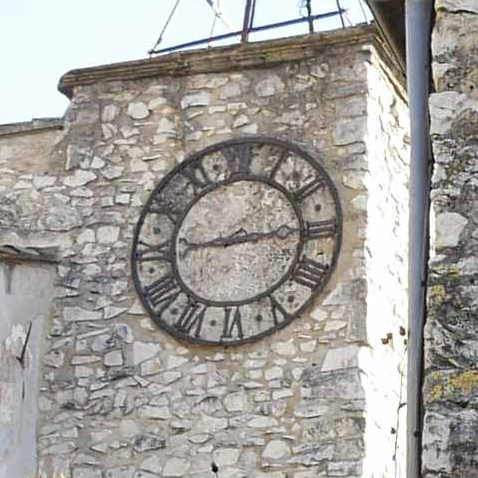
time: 2:45
